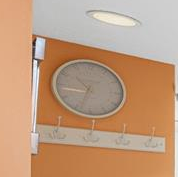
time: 10:33
